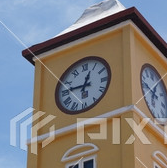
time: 12:46
